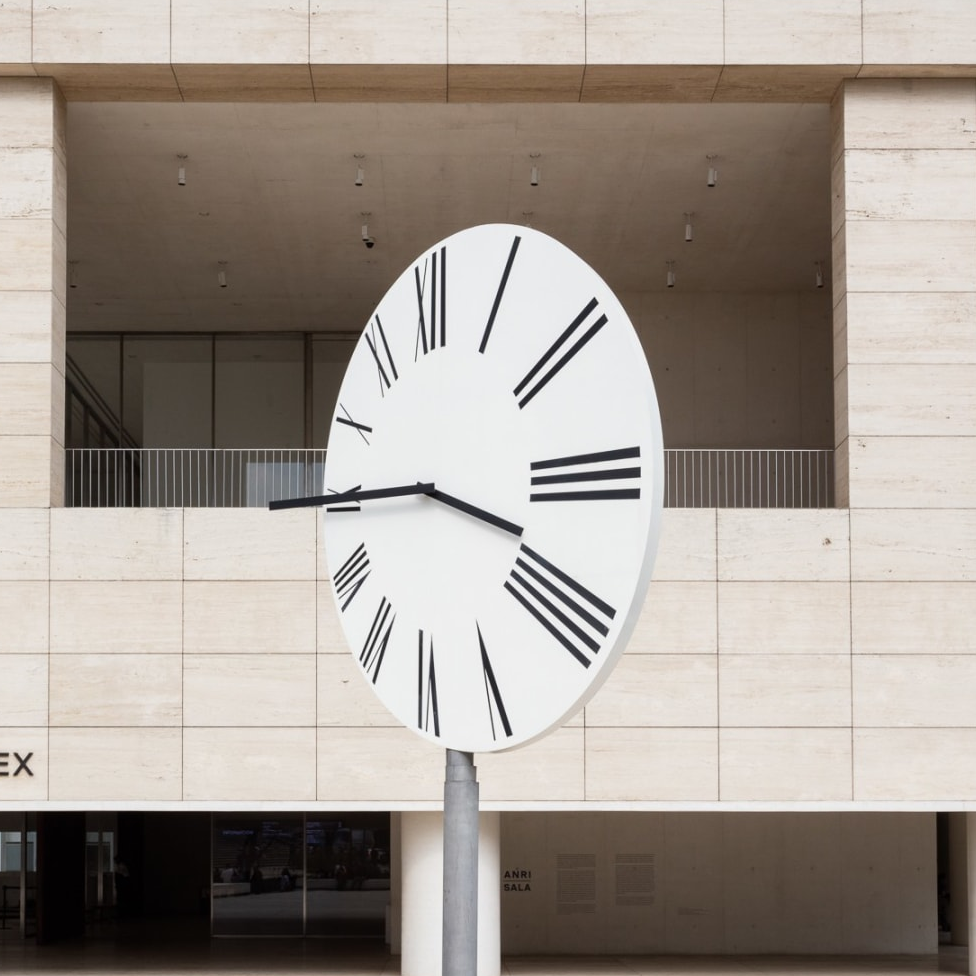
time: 3:44
